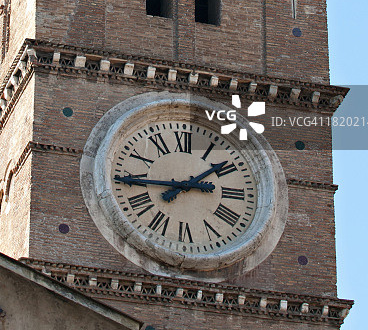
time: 1:44
